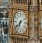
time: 6:38
